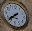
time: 7:37
